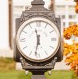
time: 11:32
